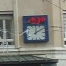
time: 12:09
